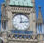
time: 12:13
